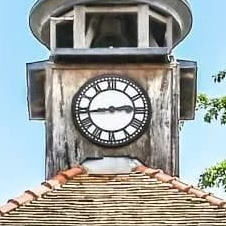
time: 2:43
